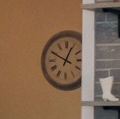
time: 12:49
